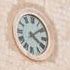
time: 4:08
